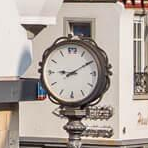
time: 9:10
